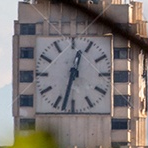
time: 12:32
